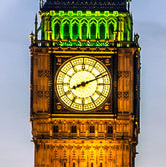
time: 8:11
